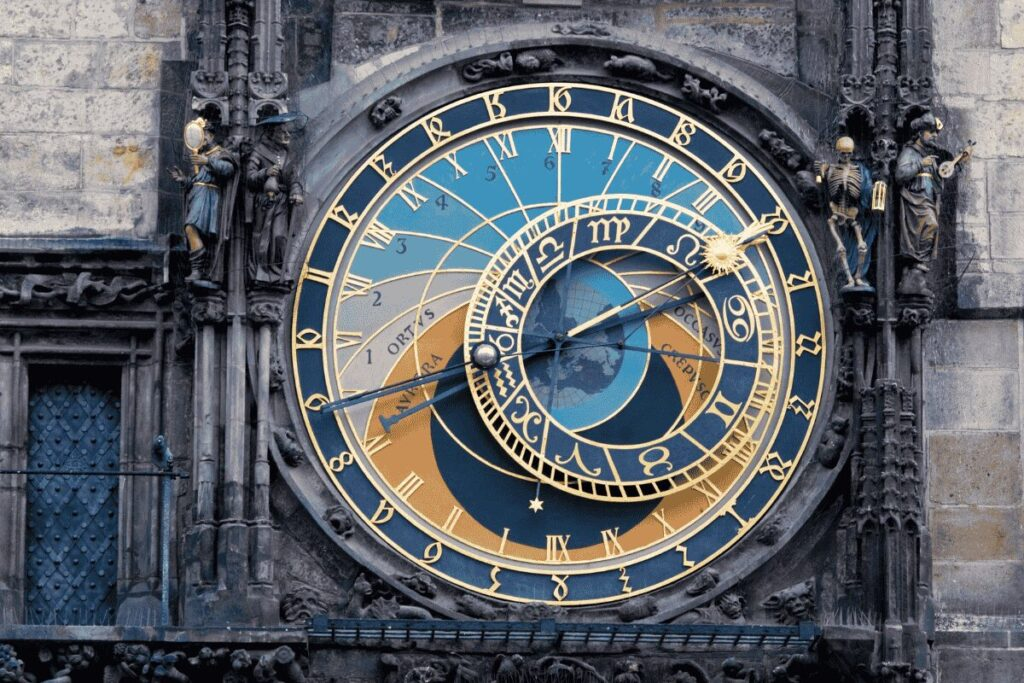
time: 8:11
